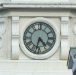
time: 4:32
